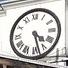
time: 4:27
